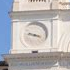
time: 3:47
